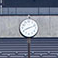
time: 8:11
